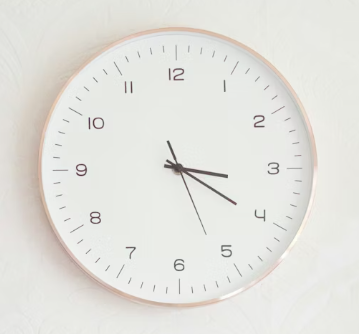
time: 3:20
